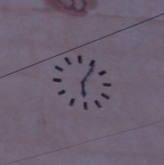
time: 6:06
